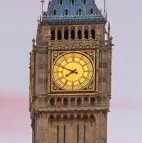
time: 7:48
